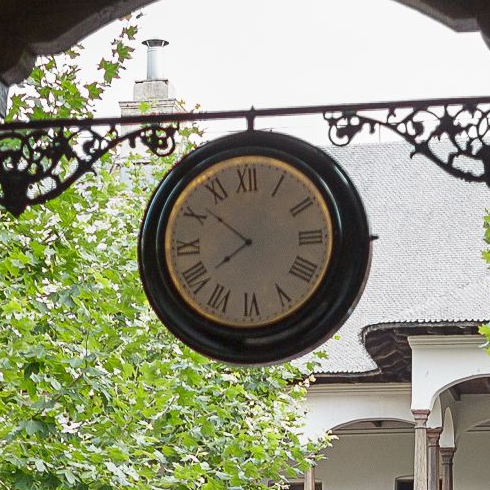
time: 7:51
